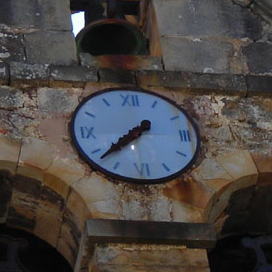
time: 7:37
